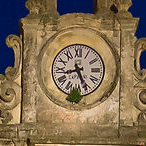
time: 8:26
